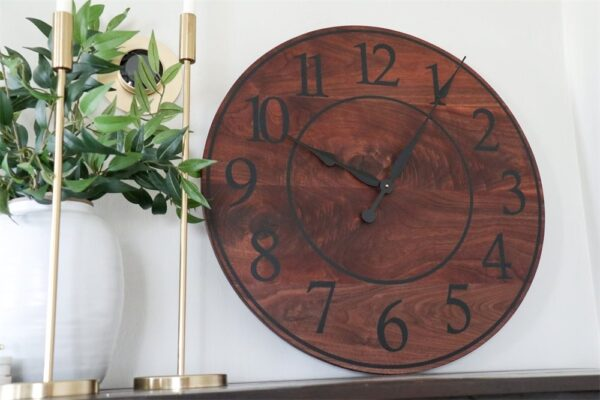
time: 10:05
